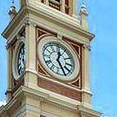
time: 12:24
